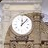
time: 12:07
